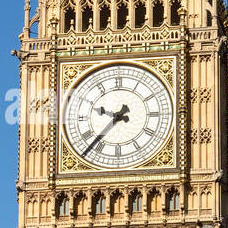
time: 9:37
